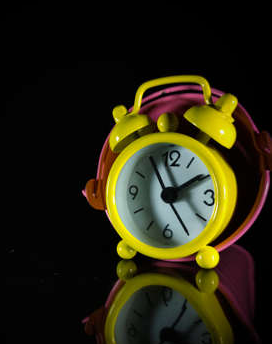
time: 1:55
